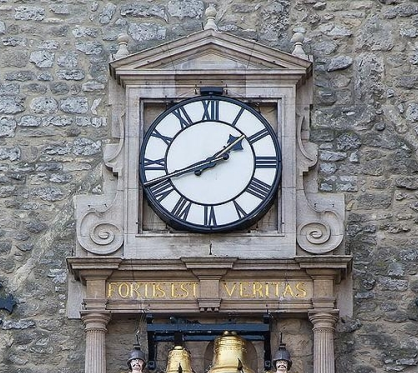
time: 1:41
